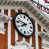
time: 7:47
